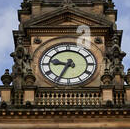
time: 9:34
